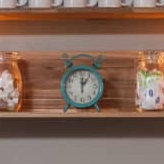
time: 12:05
